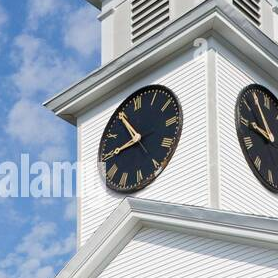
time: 8:55
